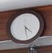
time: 4:28
